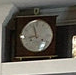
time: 8:57
